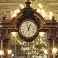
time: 12:57
